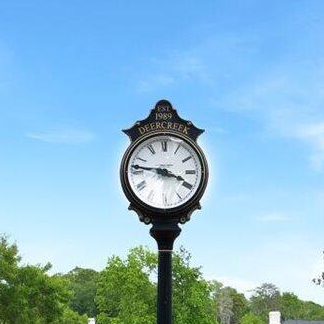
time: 3:46
